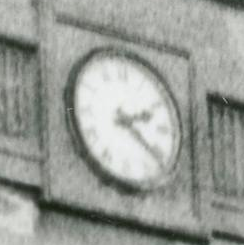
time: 2:21
